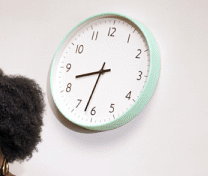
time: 8:32
